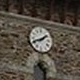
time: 1:41
